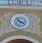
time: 3:54
